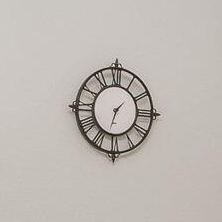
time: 1:32
